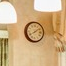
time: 8:09
